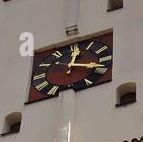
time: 12:18
